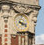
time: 4:17
